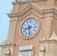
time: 8:28
